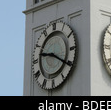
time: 9:20
